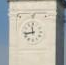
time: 11:43
